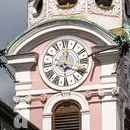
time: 12:20
